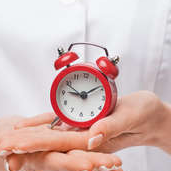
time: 9:09
